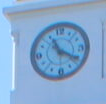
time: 11:20
